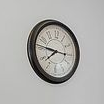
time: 7:46
